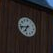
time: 6:42
